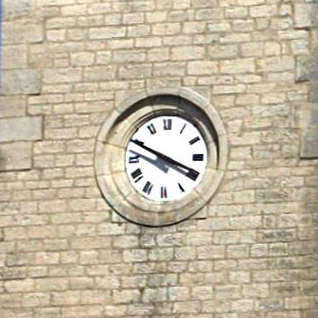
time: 3:49
